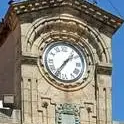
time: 1:36
